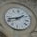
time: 1:42
